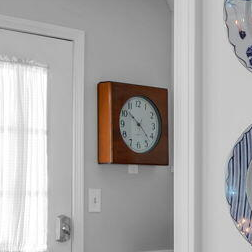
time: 10:22
